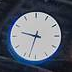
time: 9:32
